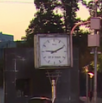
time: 9:10
